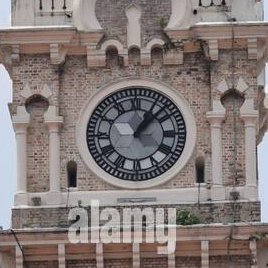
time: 1:07
